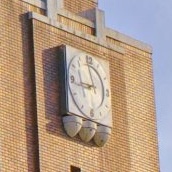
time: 11:43
